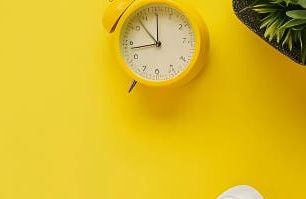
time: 10:43
